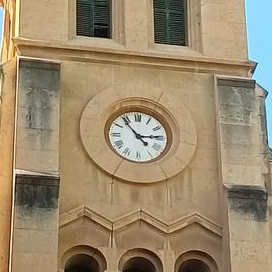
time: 2:53
